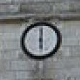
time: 6:00
